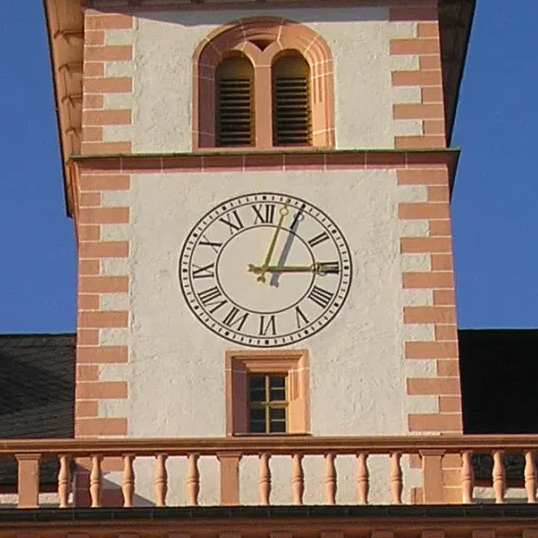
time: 3:03
